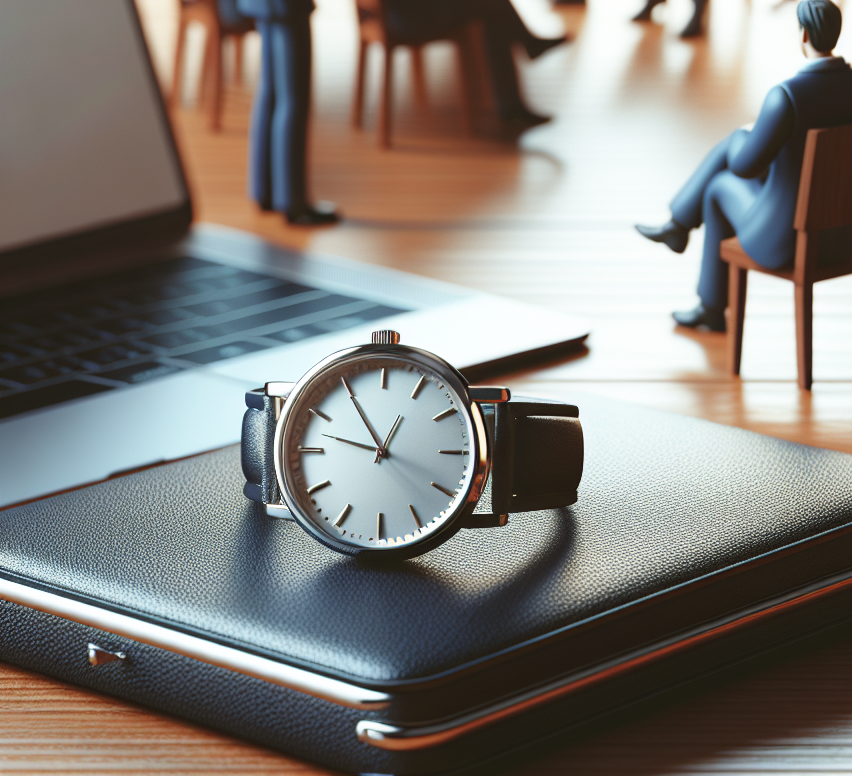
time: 12:54
